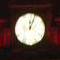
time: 12:03
